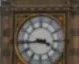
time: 3:44
